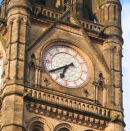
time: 6:39
